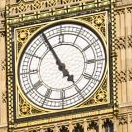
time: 4:55
